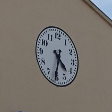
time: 4:31
